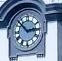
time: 2:52
